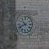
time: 10:41
